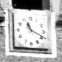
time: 11:19
